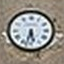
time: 5:32
